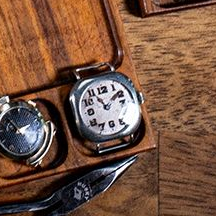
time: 11:08
